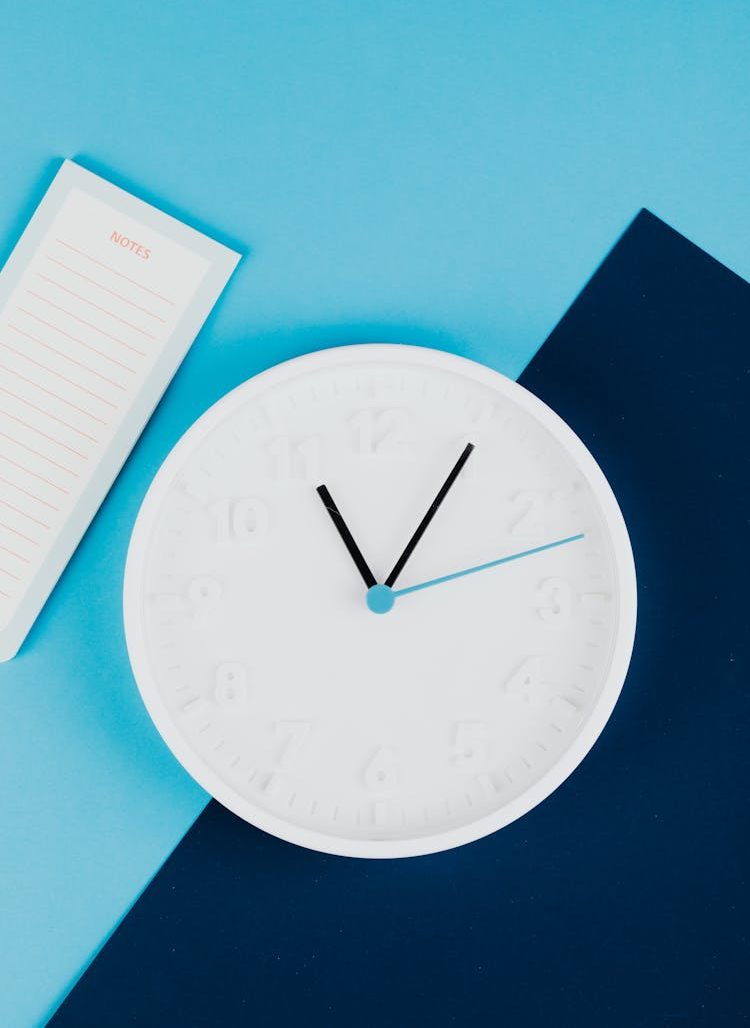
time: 11:05
